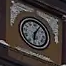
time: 6:06
